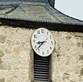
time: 8:37
